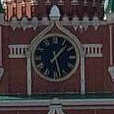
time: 1:28
